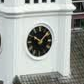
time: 10:07
